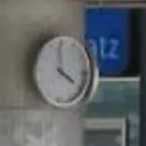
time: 3:58
